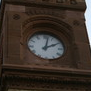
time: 2:02
